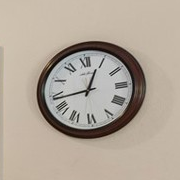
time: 12:43
